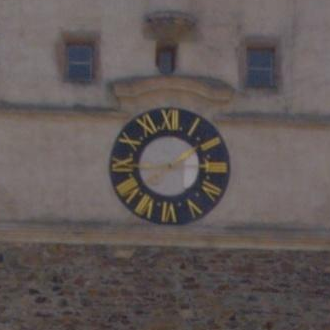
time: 1:43
